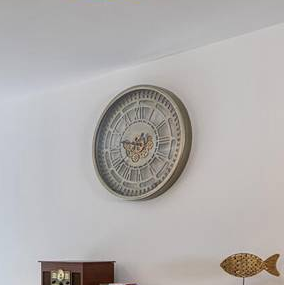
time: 9:38
